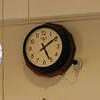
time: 5:09
